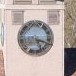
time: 5:18
